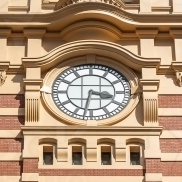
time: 3:31
